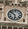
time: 5:51
